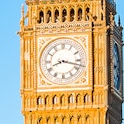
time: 8:17
